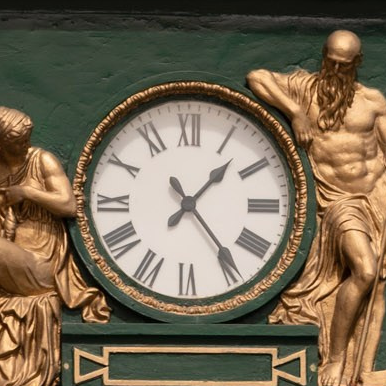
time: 1:23
